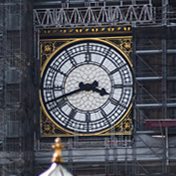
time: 3:41
